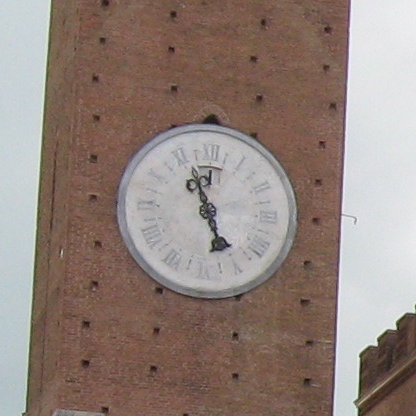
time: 4:56
